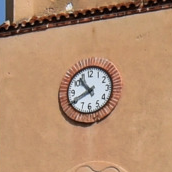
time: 10:40
